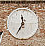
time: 11:35
